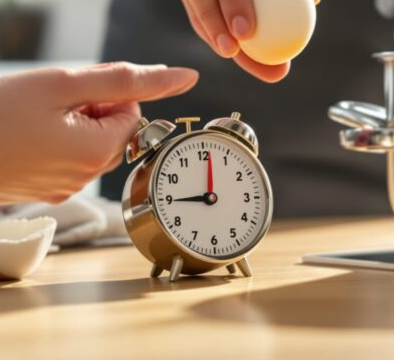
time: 9:01
